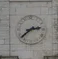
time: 2:38
